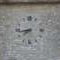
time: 7:43
